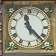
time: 11:22
